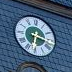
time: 6:16
